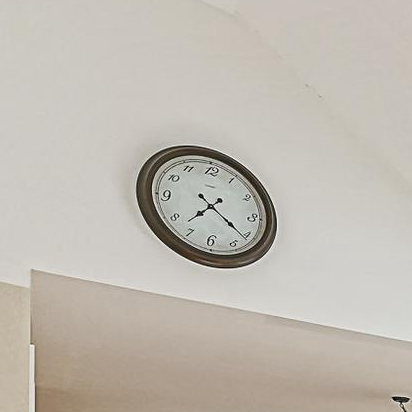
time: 7:21
